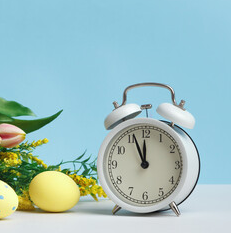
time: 11:56
